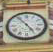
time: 4:53
